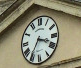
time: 3:35
